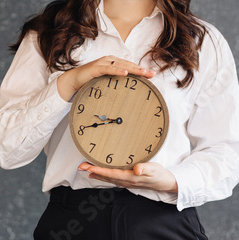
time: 8:40
